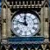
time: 11:47
